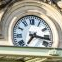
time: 7:17
